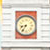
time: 8:36
